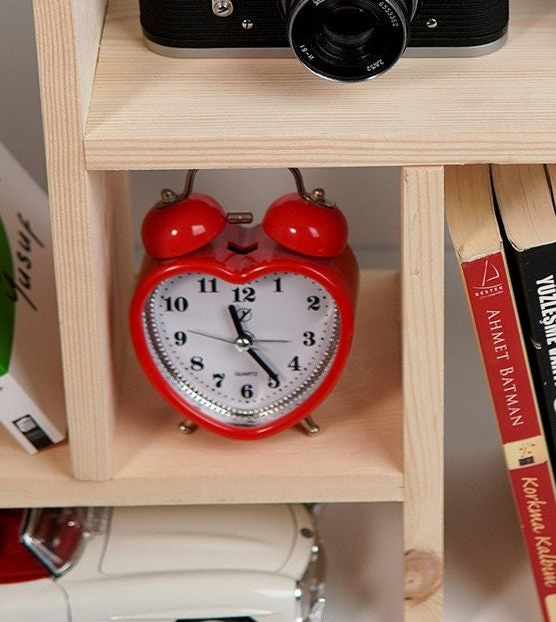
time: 11:23
